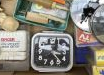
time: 12:23
